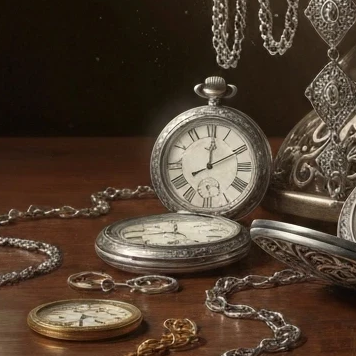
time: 12:10
